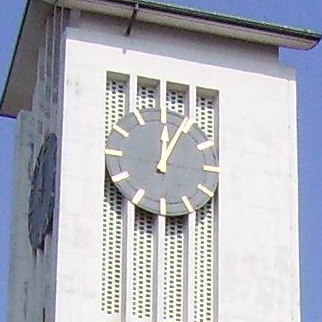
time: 12:04
